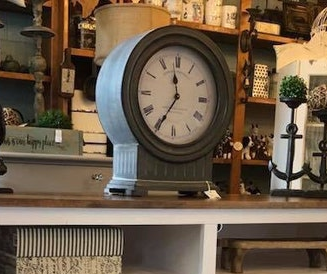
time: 11:35
